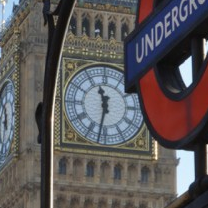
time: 11:32
